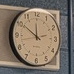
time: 11:50
